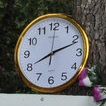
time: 8:11
